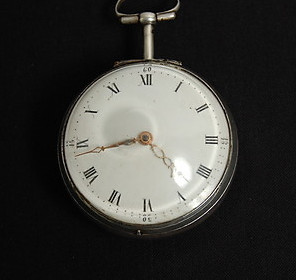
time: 4:43
